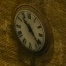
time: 10:23
